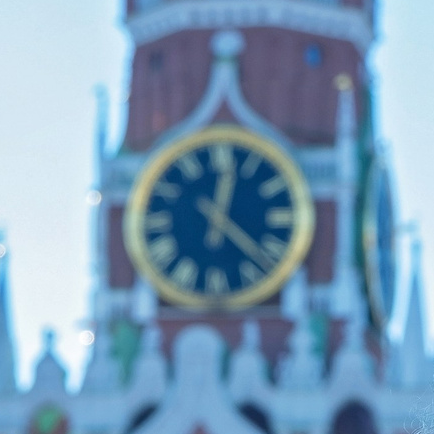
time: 12:22
